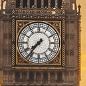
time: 7:36
